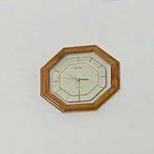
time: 3:29
